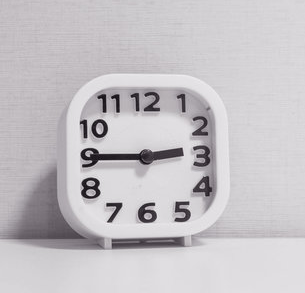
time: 2:45
